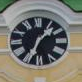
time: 1:34
